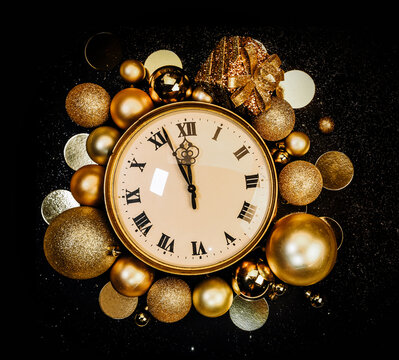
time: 11:56
